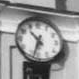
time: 10:33
